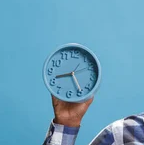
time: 8:24
